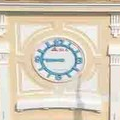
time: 8:45
